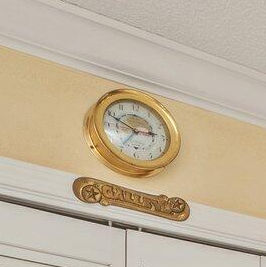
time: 2:48
